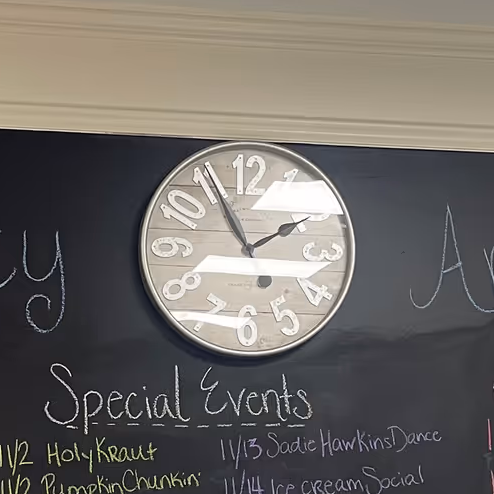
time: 1:55
